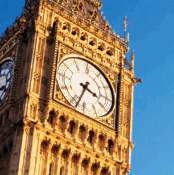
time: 3:33
